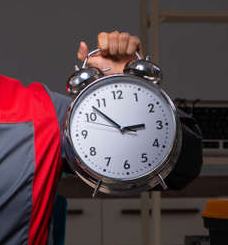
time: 2:52
